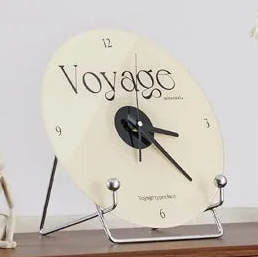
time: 3:22
